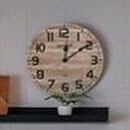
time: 12:09
